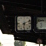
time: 6:11
